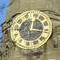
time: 12:16
